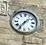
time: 1:36
